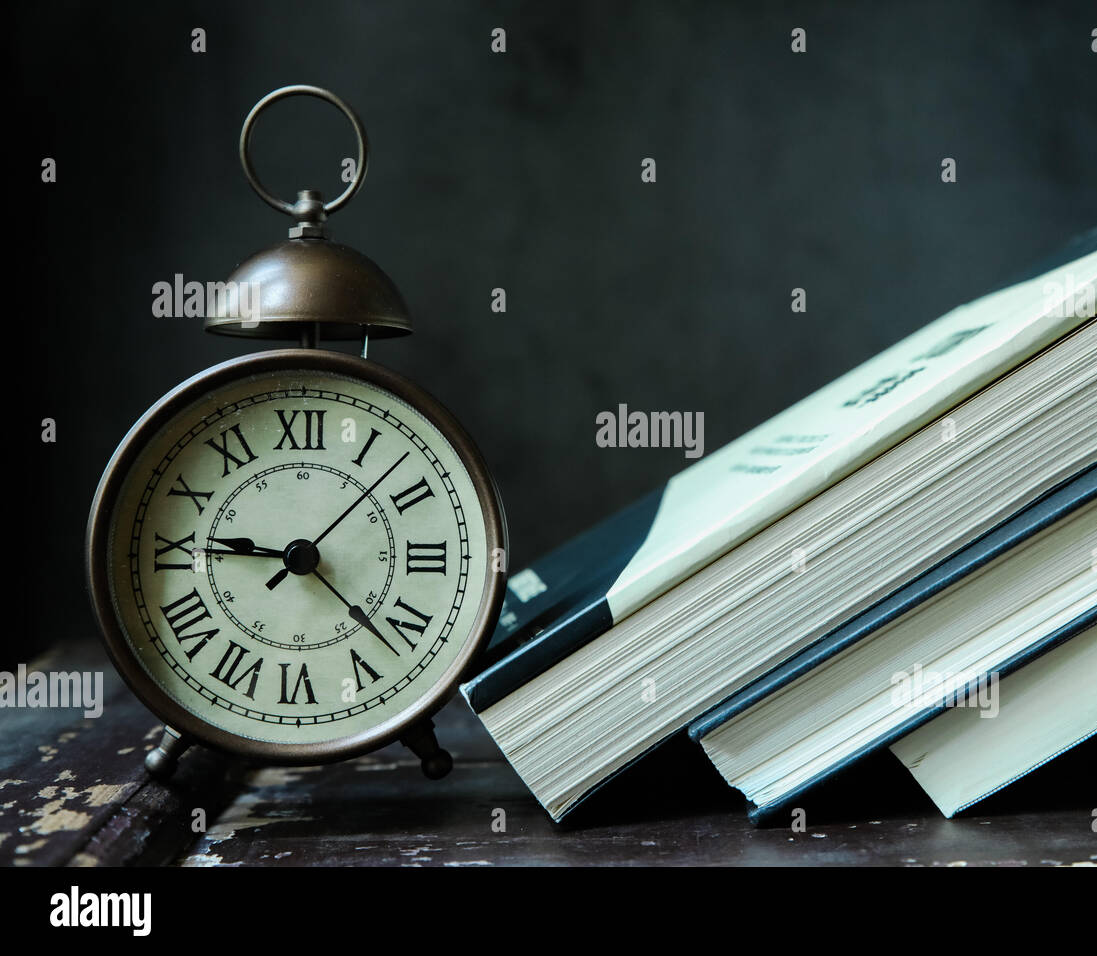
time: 9:22
